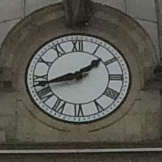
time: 1:42
